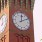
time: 12:10
